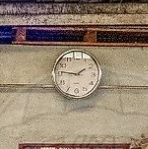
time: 1:46
